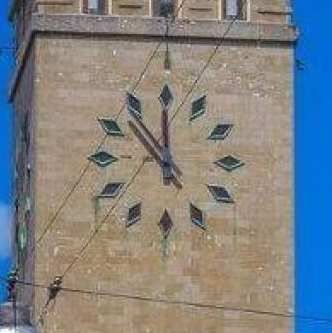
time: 11:53
